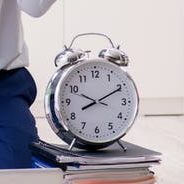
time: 8:10
